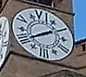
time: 1:40
